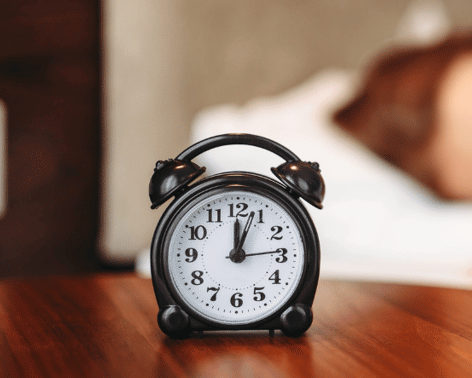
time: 12:03
